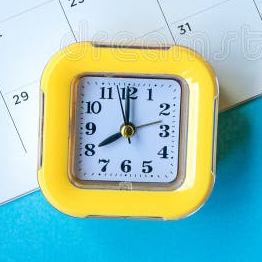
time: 7:59
